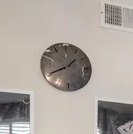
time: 1:40
